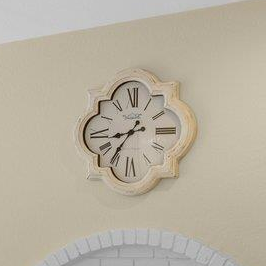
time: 8:36
